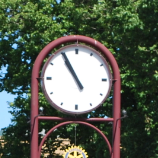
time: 10:55
